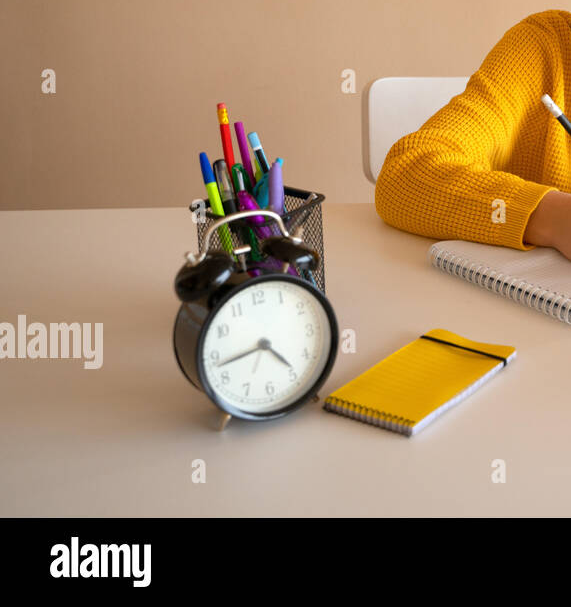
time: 4:43
